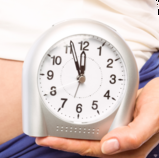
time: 11:56
